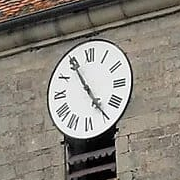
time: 4:54
